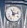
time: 11:12
